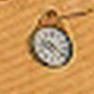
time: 9:20
